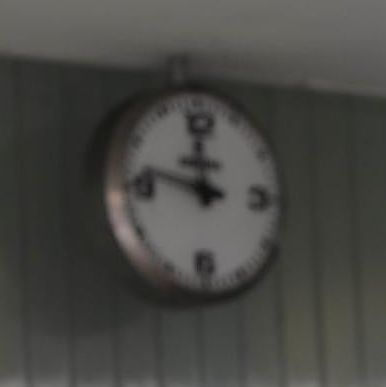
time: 11:46
